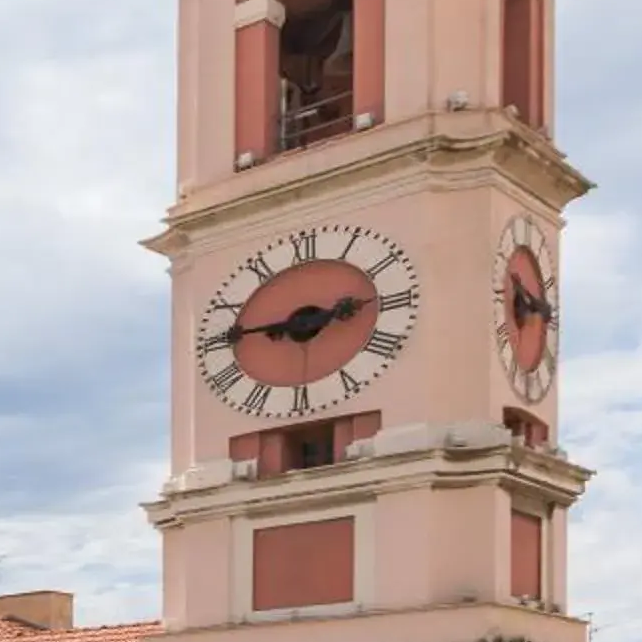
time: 2:46
